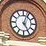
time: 5:03
